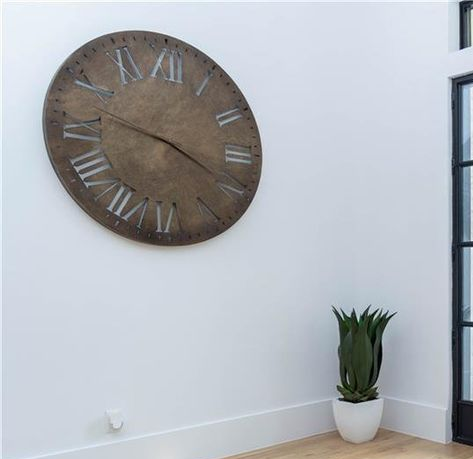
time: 3:47
